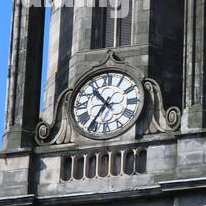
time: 10:35
